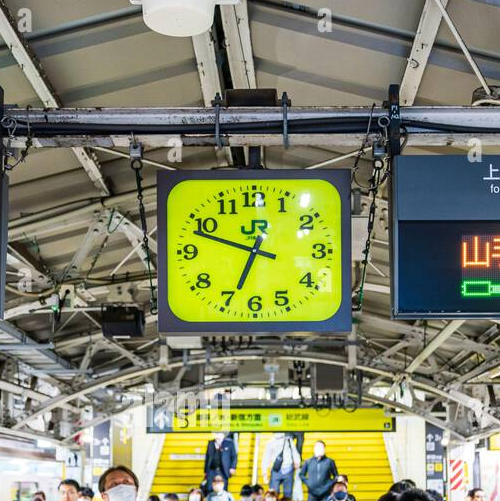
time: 6:47
